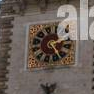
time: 2:24
